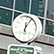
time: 12:04
